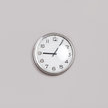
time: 9:05
